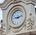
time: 9:12
